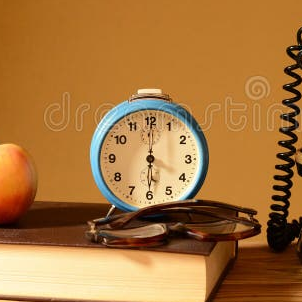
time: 6:00
